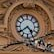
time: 4:38
